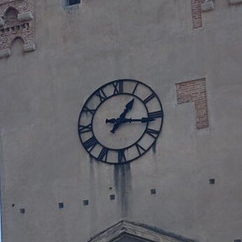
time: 1:16
